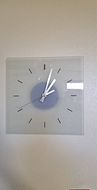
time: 1:02
